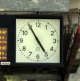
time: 4:54
